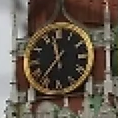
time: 11:36
